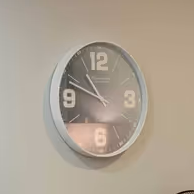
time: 10:48
